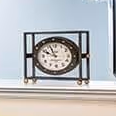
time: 9:56
